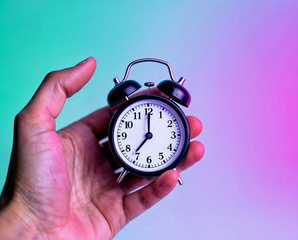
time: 7:00
